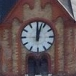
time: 12:02
